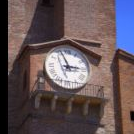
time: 2:56
